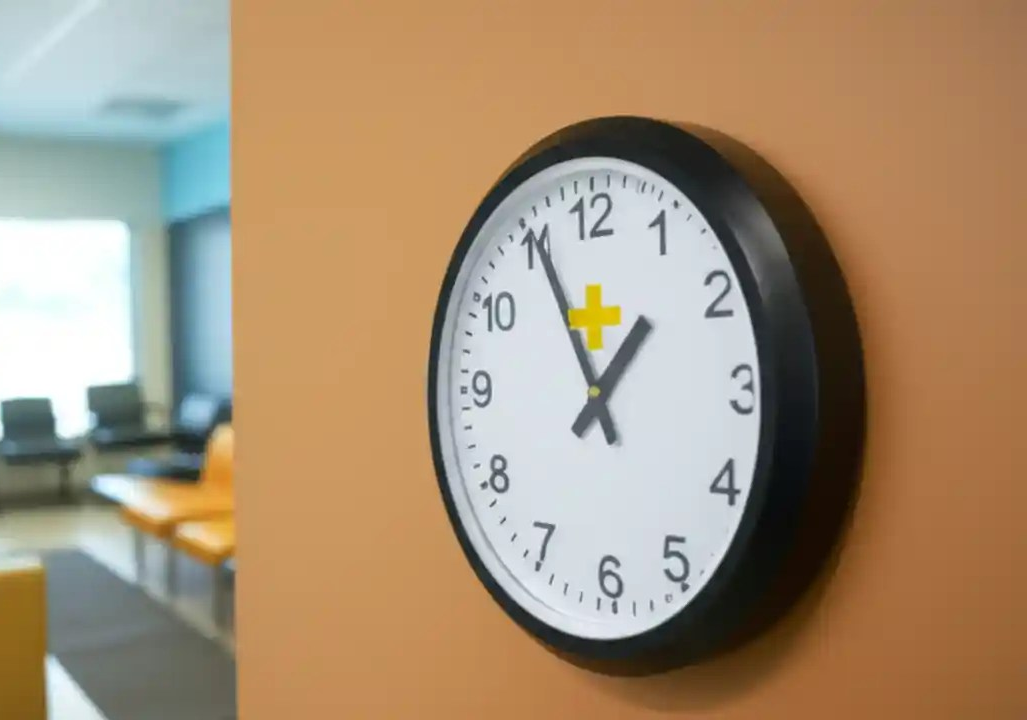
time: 12:55
